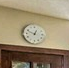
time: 12:48
